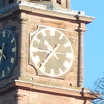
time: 10:36
